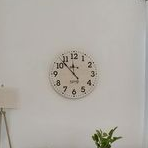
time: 11:52
